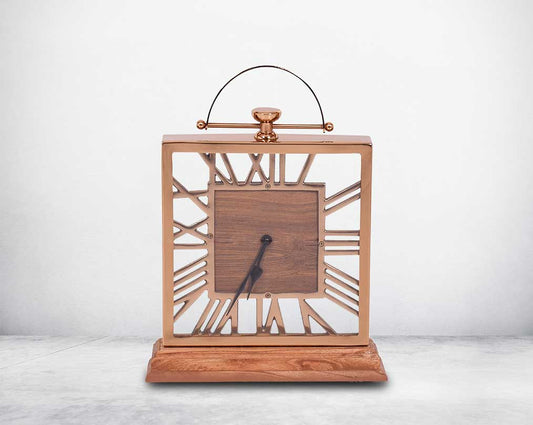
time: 6:34
